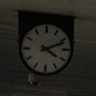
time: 4:11
